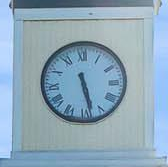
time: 5:28
